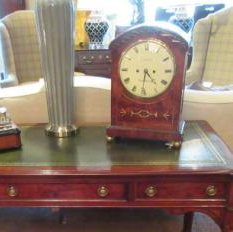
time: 4:31
